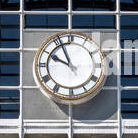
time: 9:56
